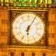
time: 6:05
